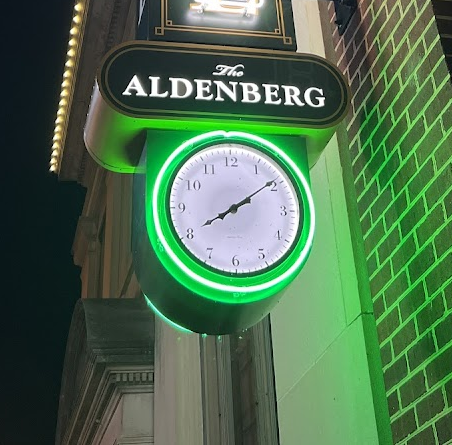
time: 8:09
